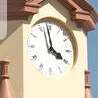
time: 3:58
